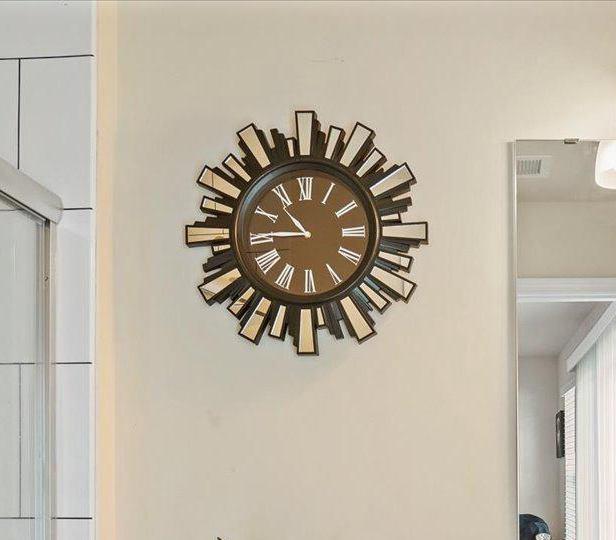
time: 10:45
